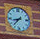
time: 8:37
